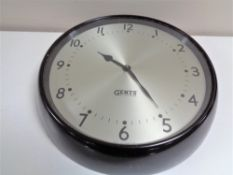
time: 10:24
